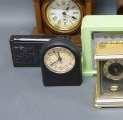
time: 11:39
